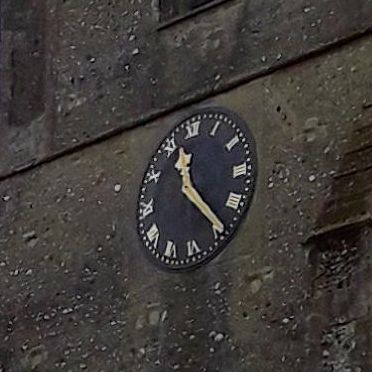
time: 11:24
